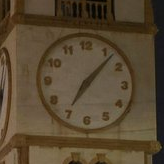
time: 7:07
